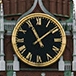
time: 11:08
